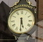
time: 5:30
